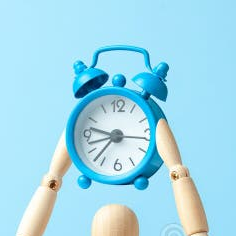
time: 7:15
